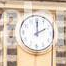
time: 2:00
